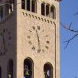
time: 11:28
